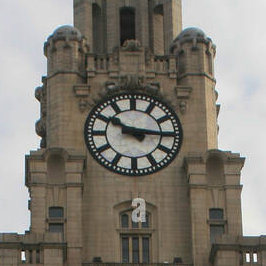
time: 10:15
